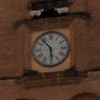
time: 5:53
